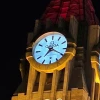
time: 7:19
